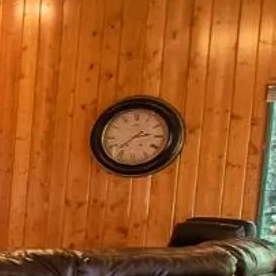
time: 2:38
